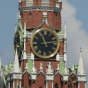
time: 11:13
